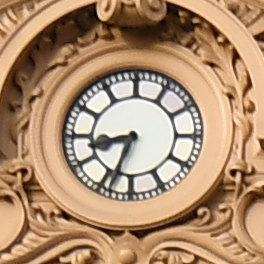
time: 8:33
